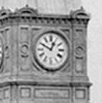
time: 12:49
